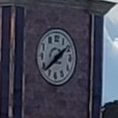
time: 1:38
